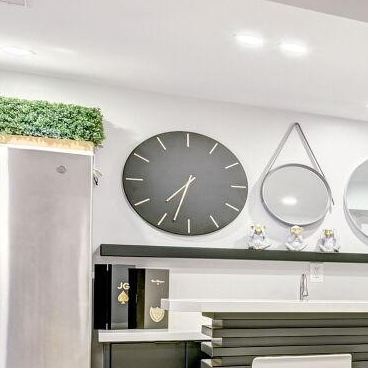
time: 7:32
